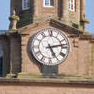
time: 5:12
